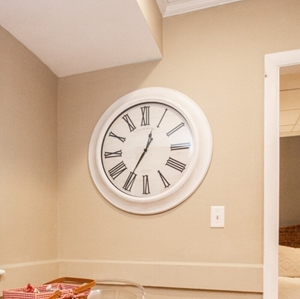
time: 12:35
